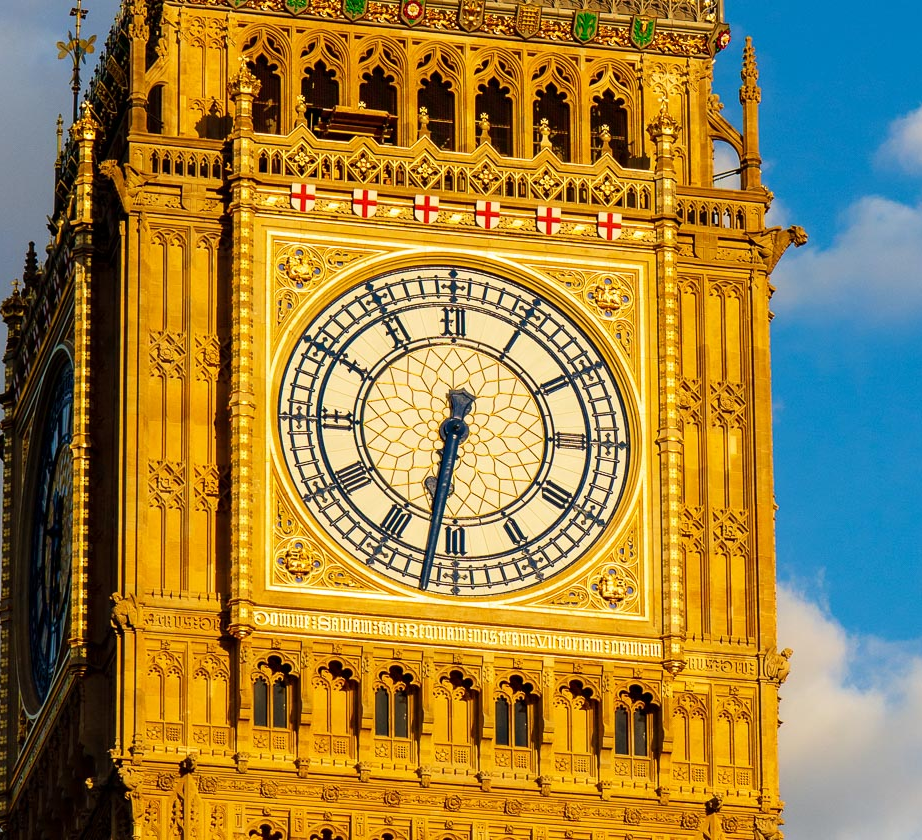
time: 6:31
